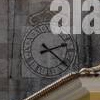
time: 2:21
